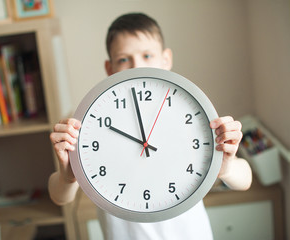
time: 9:57
